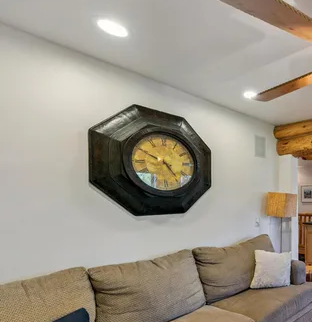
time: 4:49
